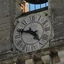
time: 4:47
